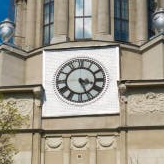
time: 3:26
